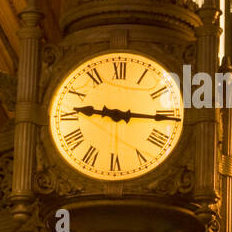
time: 9:15
